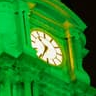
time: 10:34
